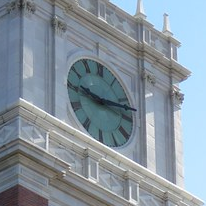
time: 9:12
